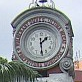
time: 1:28
